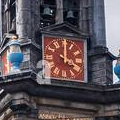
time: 4:00
